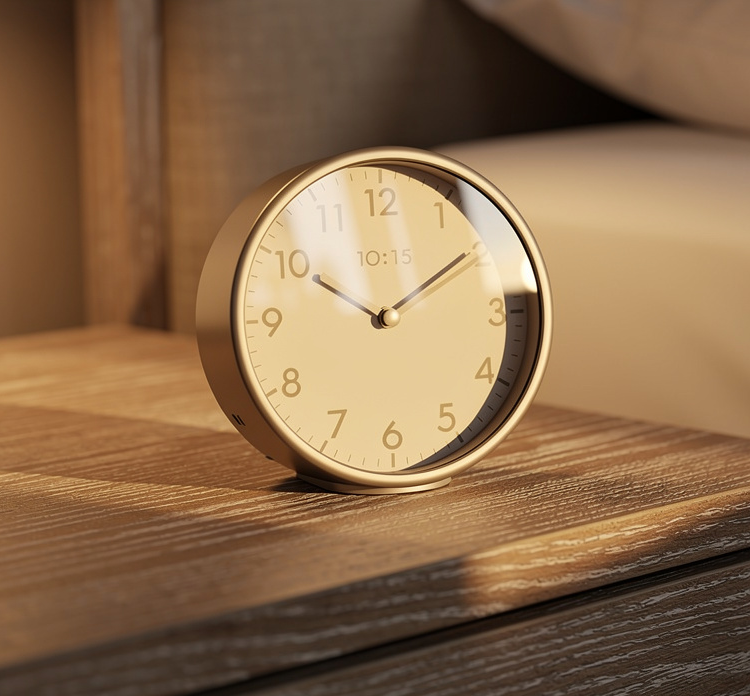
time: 1:49
